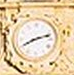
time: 8:12
